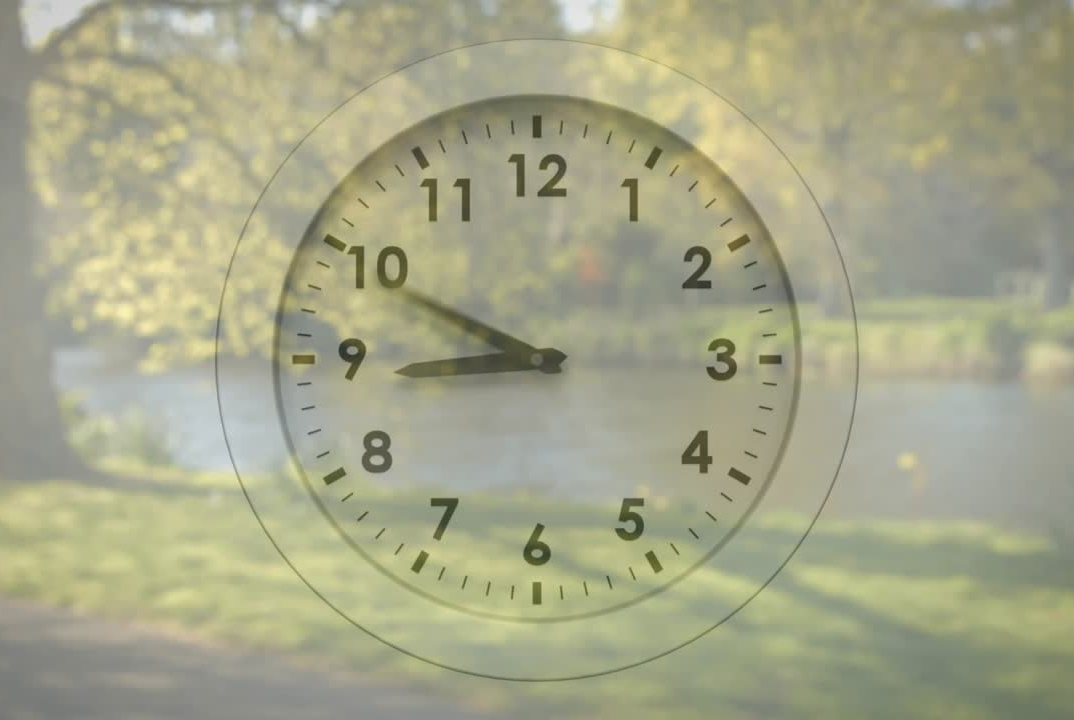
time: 8:49
